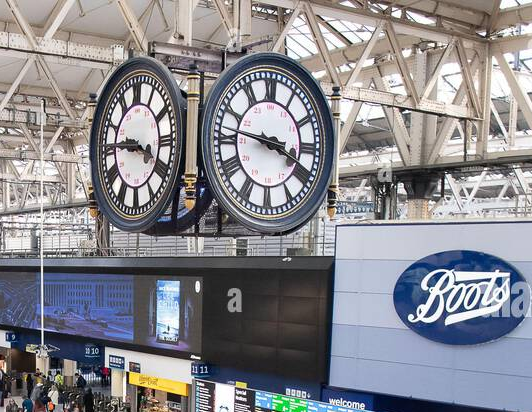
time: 3:46
